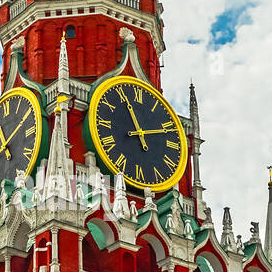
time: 11:11
